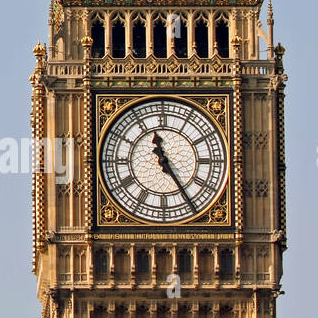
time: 11:24
